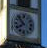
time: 7:52
